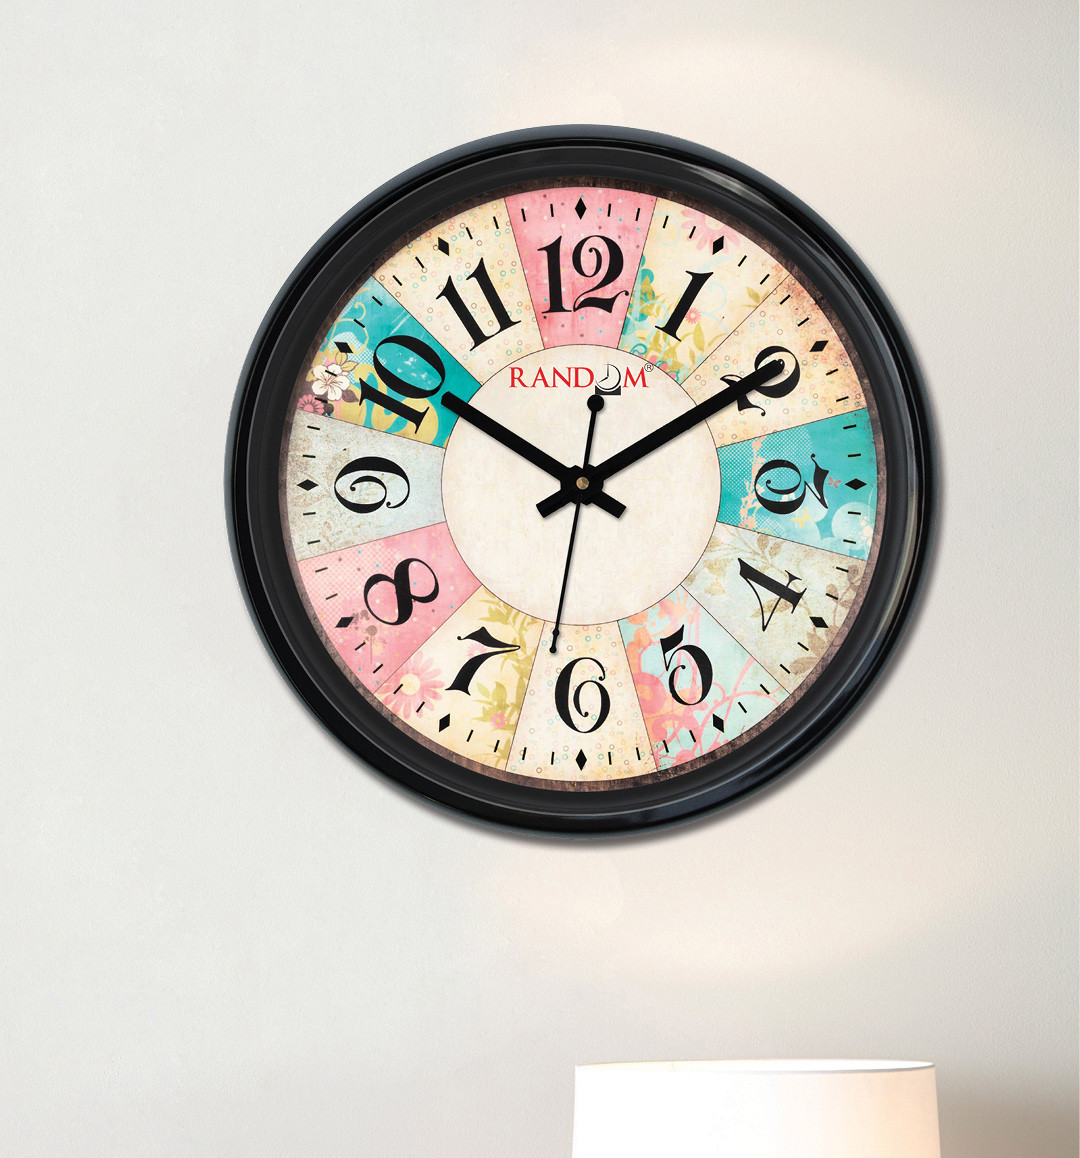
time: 1:50
